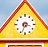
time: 3:33
